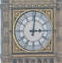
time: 3:01
